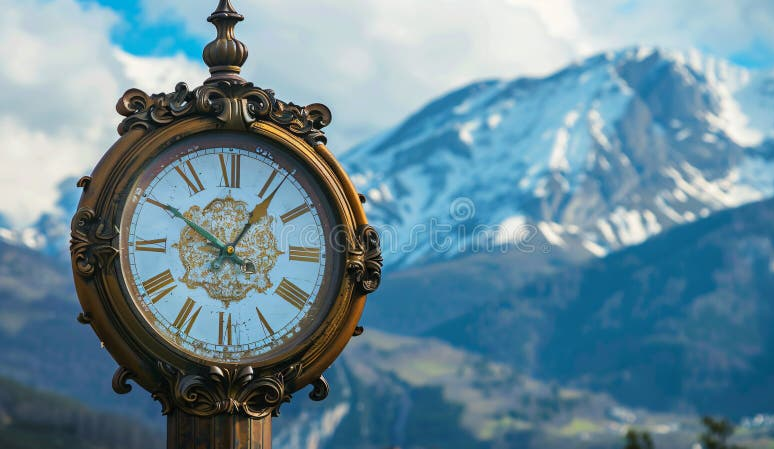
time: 10:06
